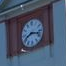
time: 8:17
